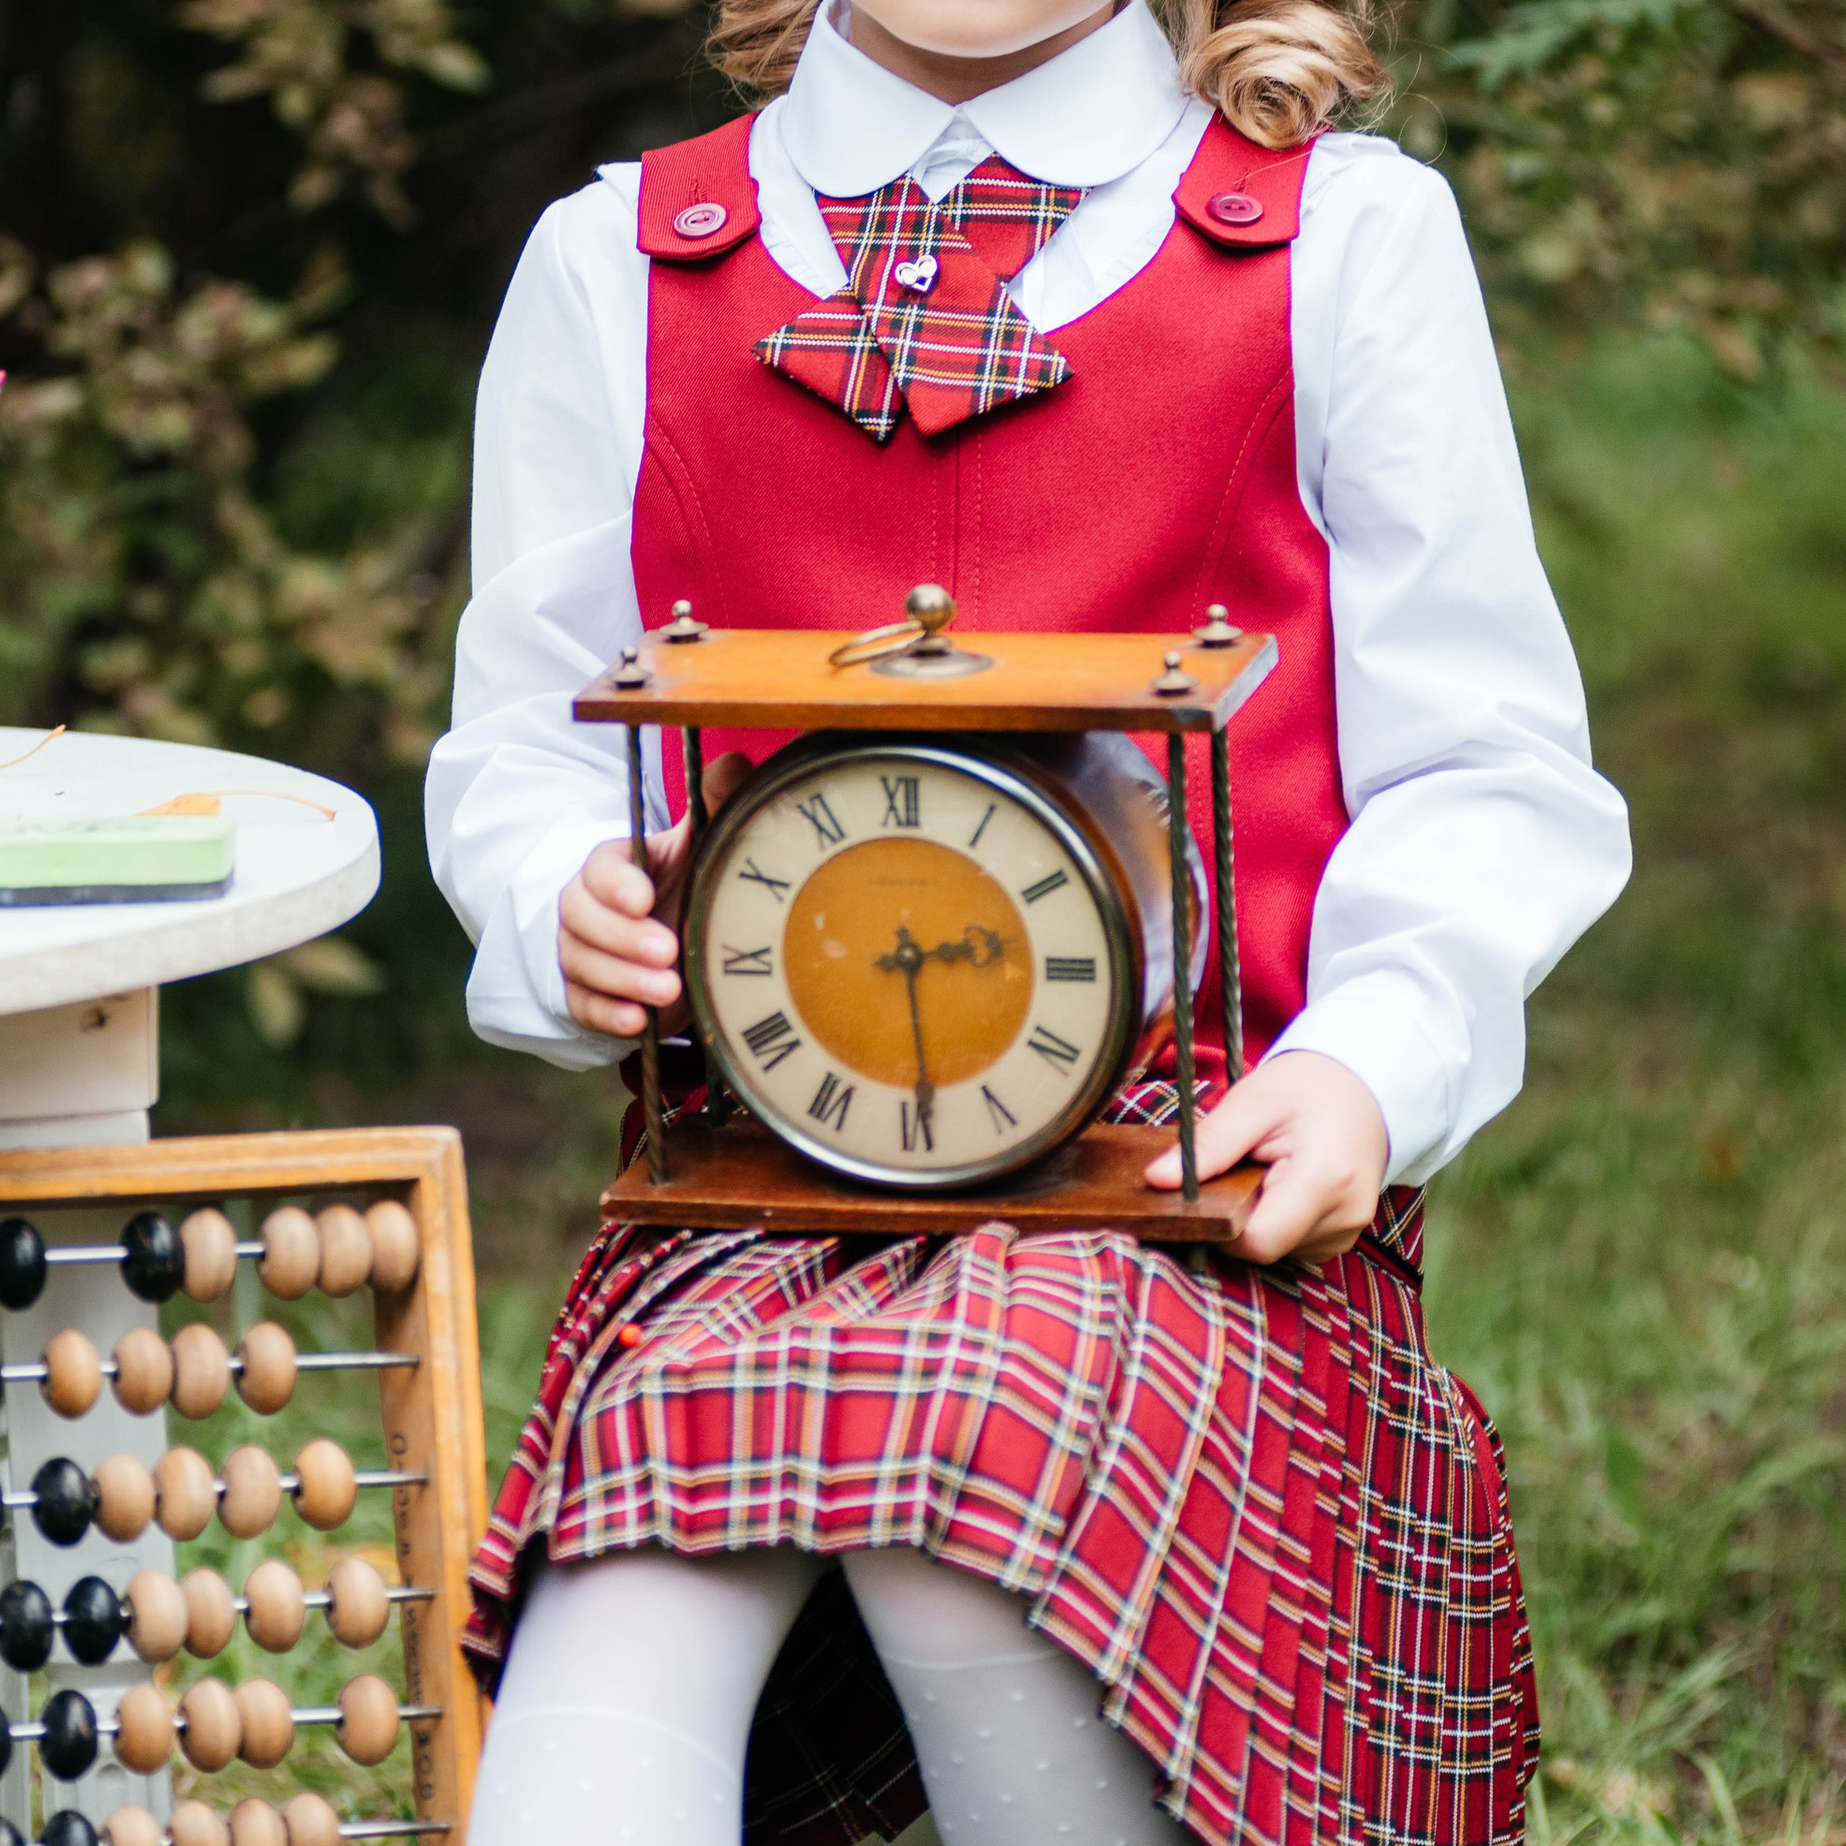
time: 2:29
